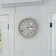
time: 2:40
